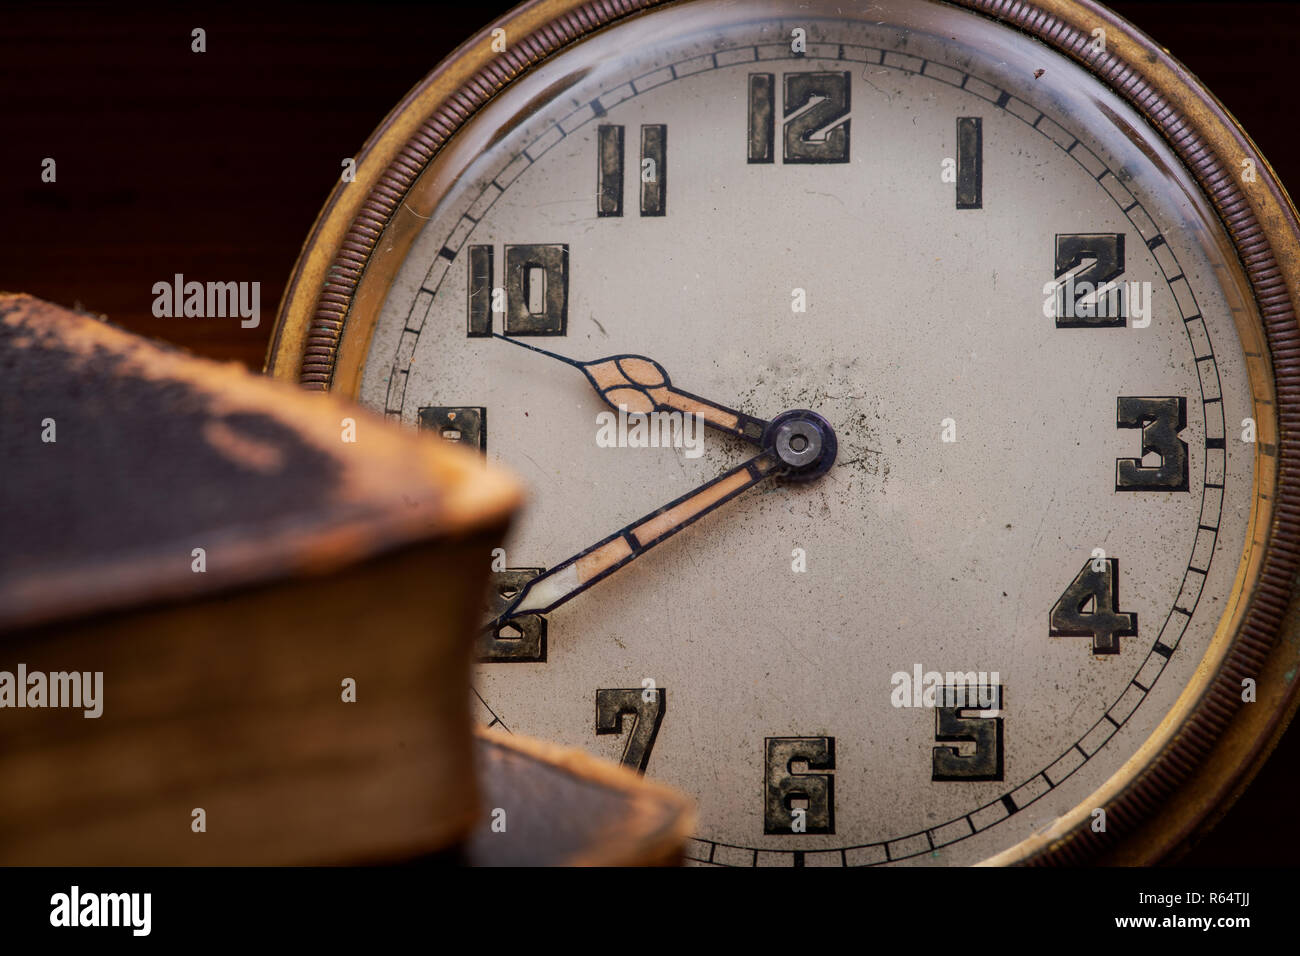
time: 9:40
